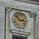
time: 2:52
